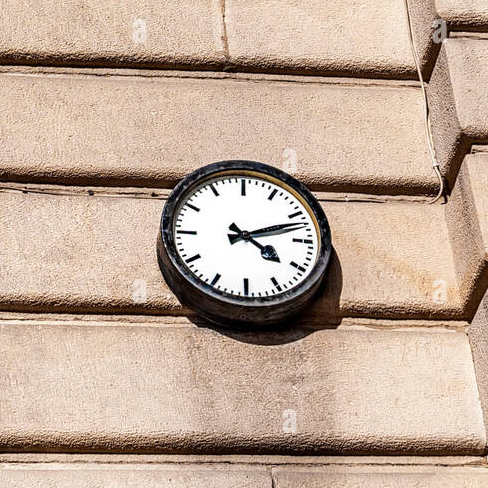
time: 4:12
